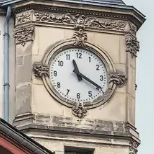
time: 11:19
